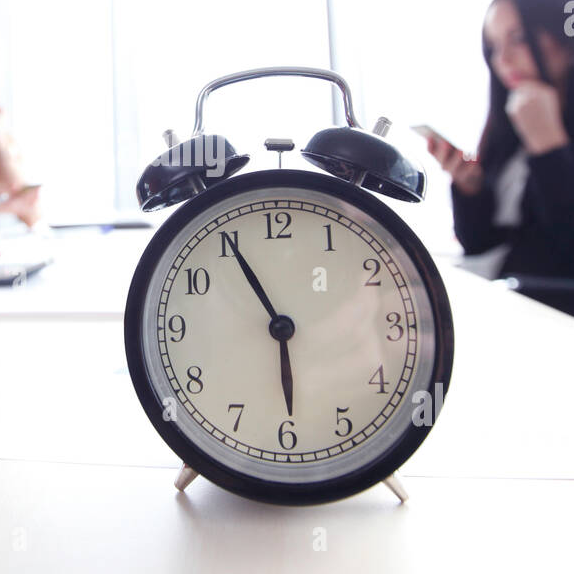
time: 5:55
